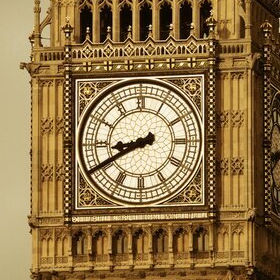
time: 8:40
